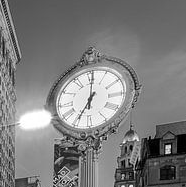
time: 7:00
